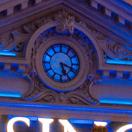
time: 5:18
